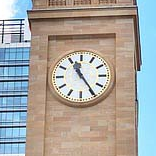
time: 11:24
